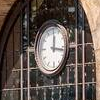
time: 12:16
